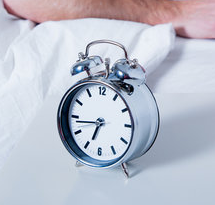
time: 6:43
